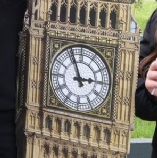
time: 2:56
